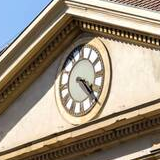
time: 4:22
